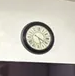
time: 5:19
